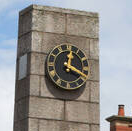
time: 12:19
